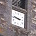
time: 2:46
